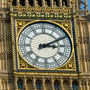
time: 3:10
